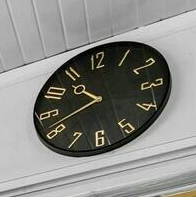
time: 10:41
